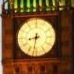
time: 8:32
